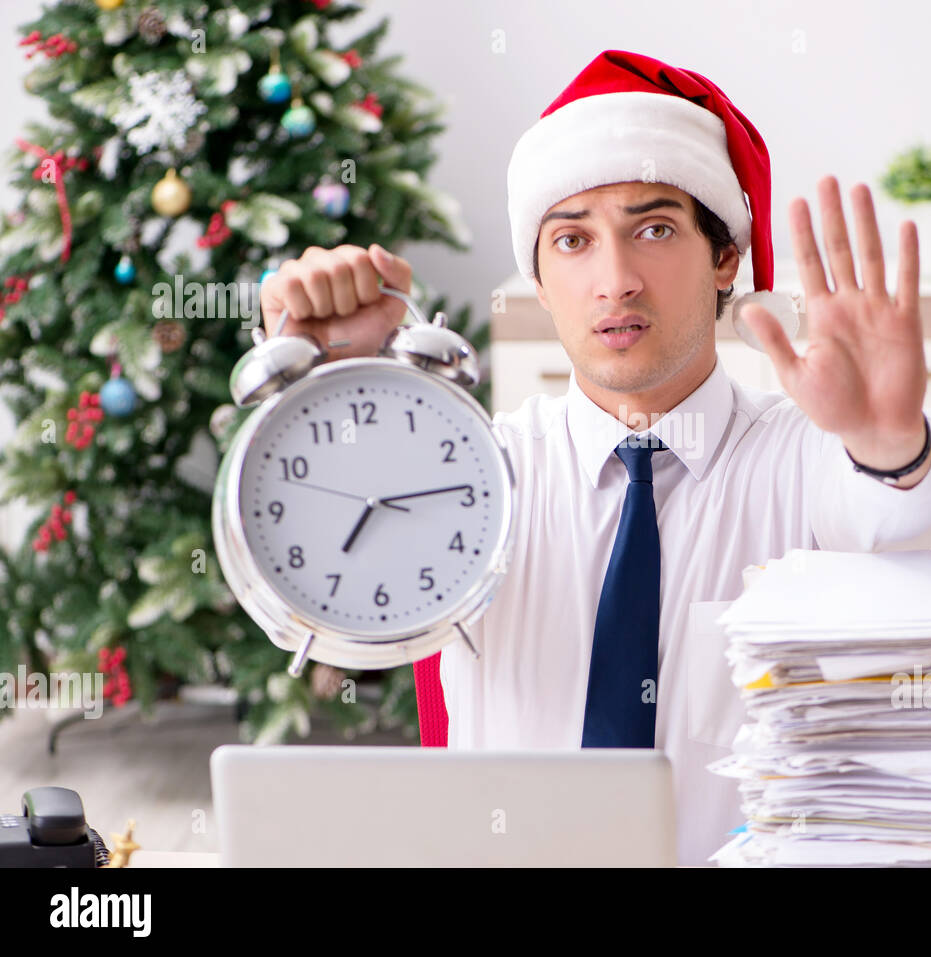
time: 7:14
